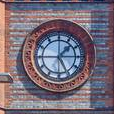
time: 1:25
